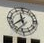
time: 11:37
